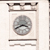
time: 3:40
